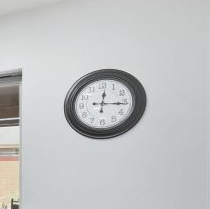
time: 12:15
